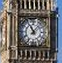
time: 11:07
